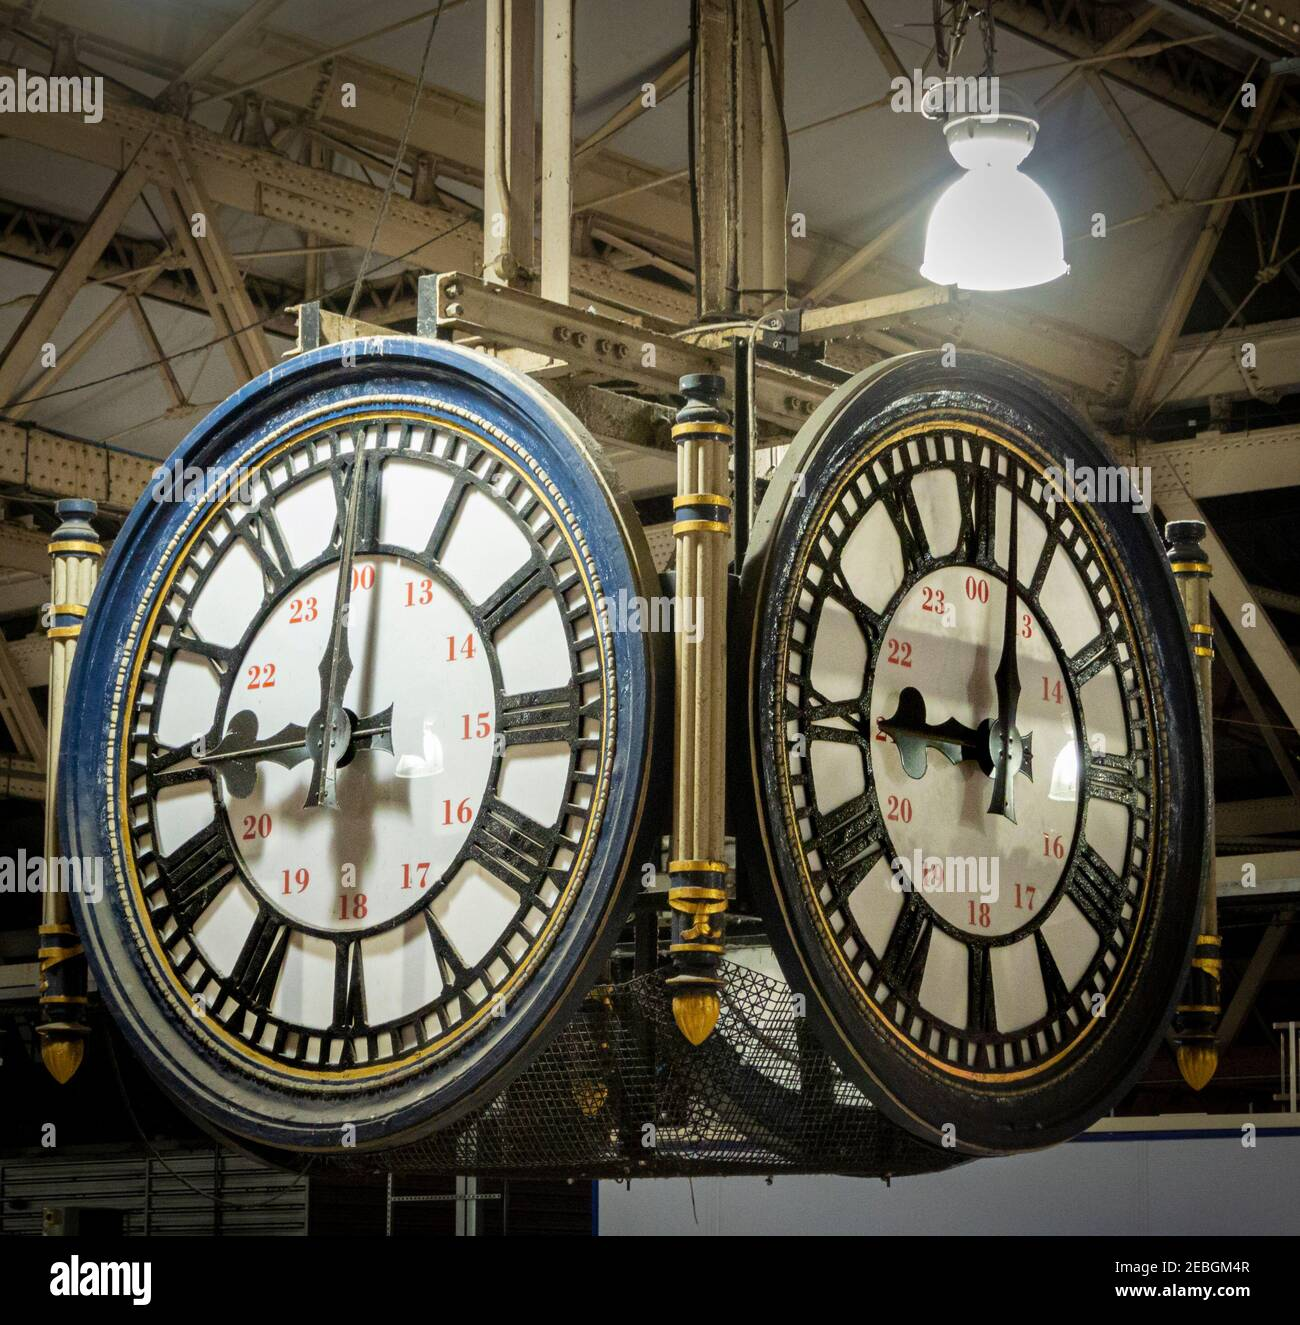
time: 9:01
